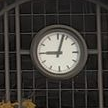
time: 9:02
